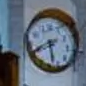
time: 5:40
